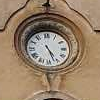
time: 4:26
